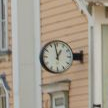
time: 12:58
